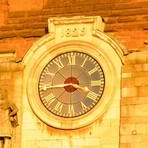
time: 3:44
